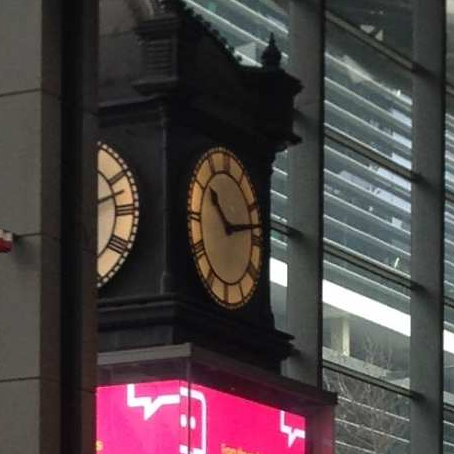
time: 10:13
